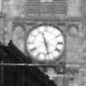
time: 11:28
